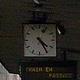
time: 4:25
